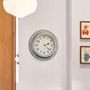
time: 2:21
